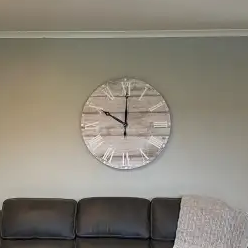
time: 10:00
